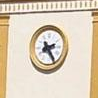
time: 2:24
